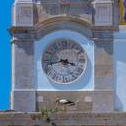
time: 3:43
